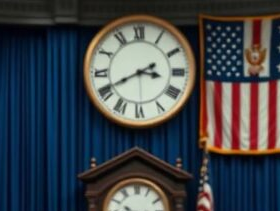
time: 3:40
